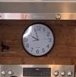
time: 9:56
